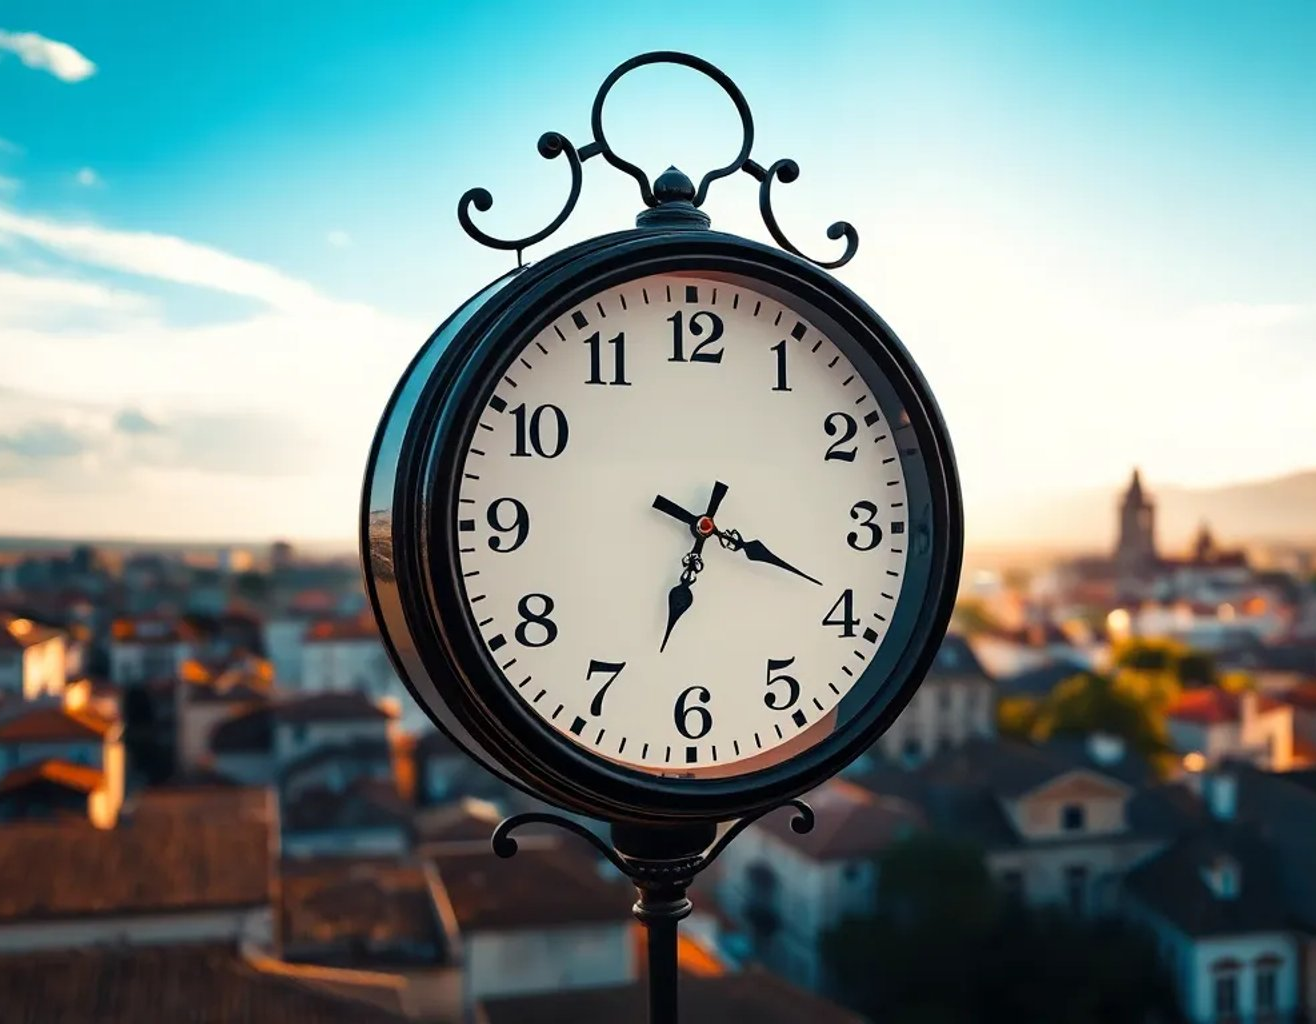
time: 6:18
